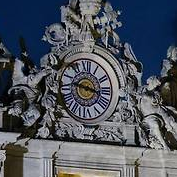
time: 9:17
